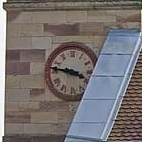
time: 3:46
